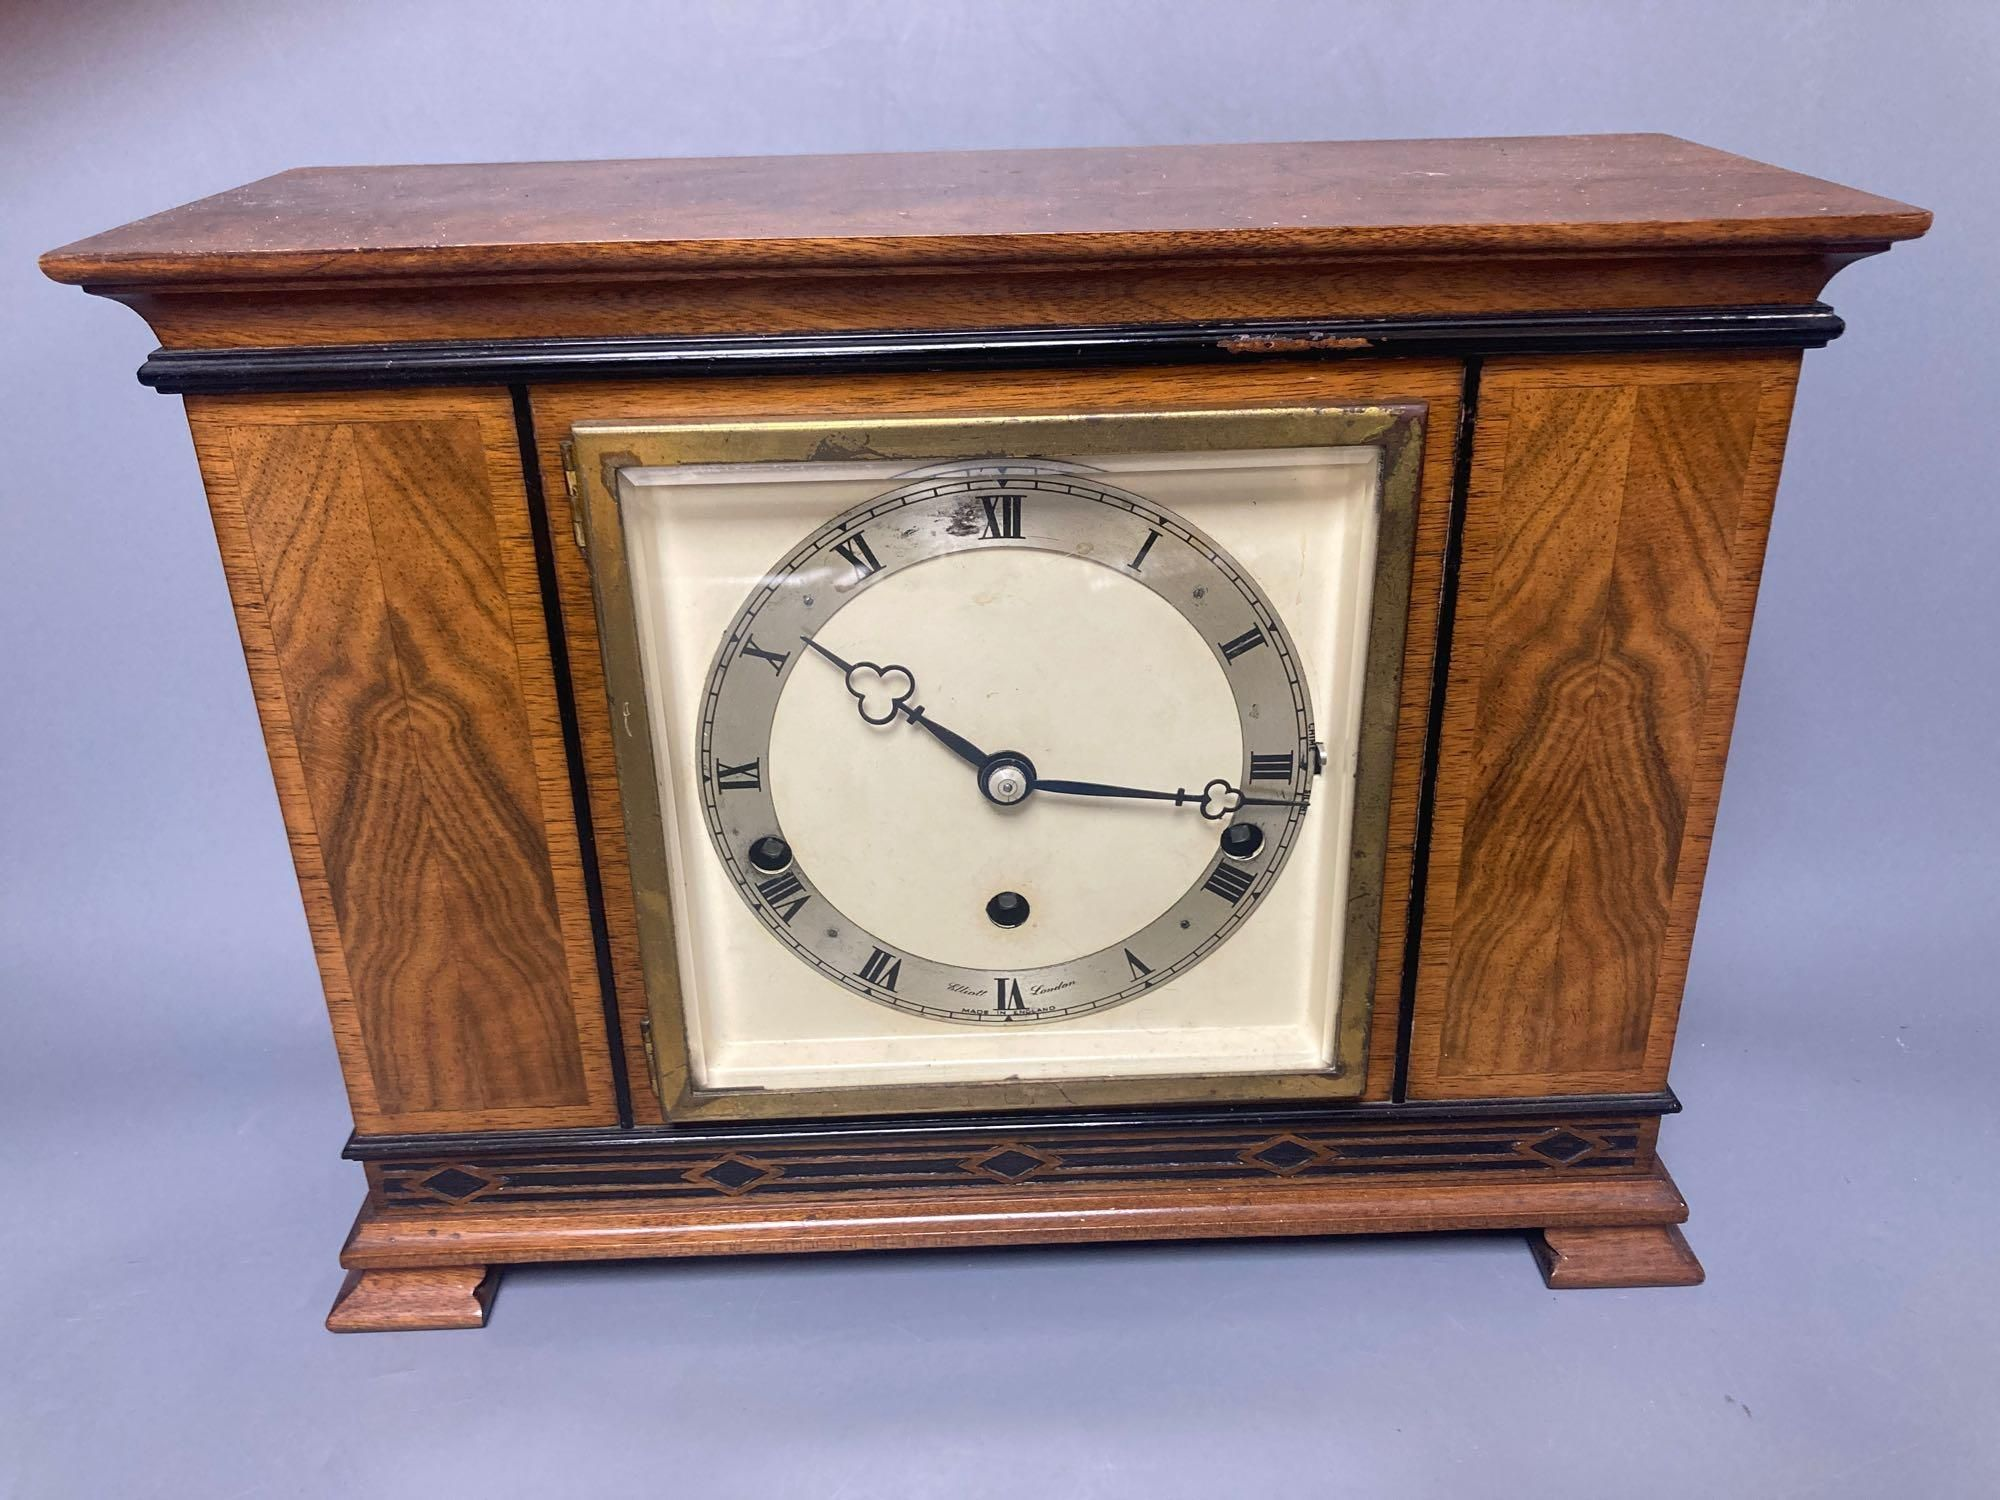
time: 10:17
